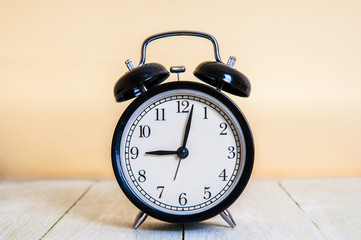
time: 9:02
